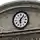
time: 6:06
